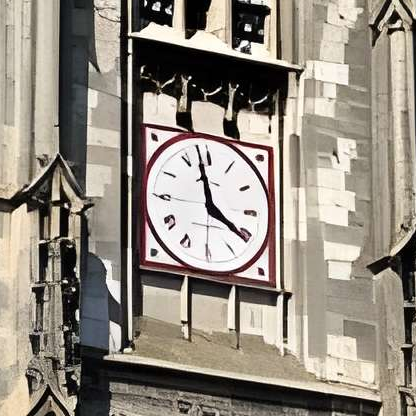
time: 3:58
